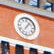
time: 7:06
